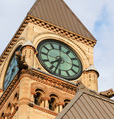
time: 7:32
